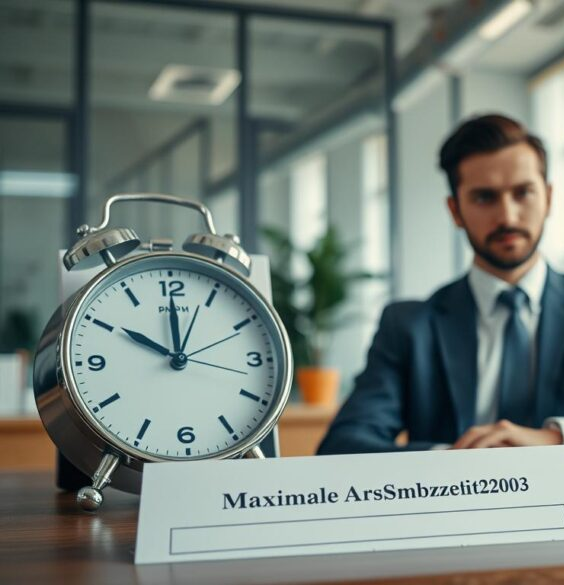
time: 10:00
